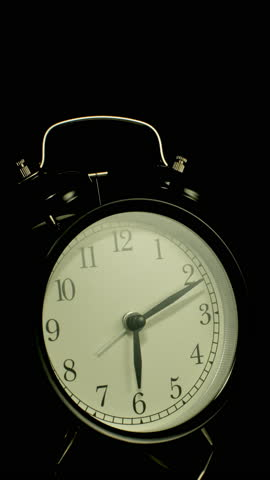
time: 6:11
